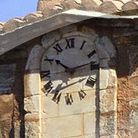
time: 10:13
